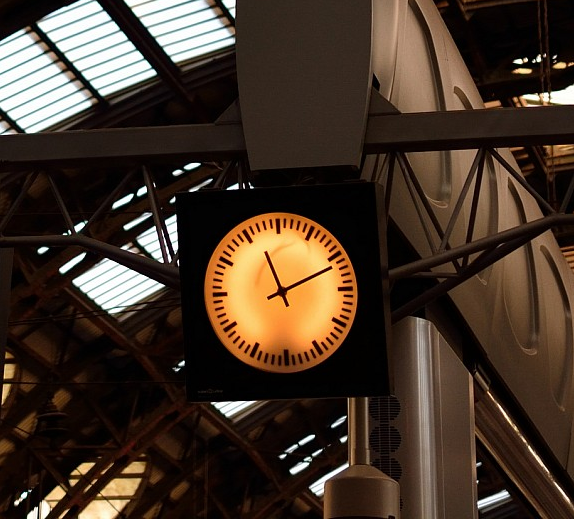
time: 11:11
